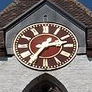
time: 2:36
